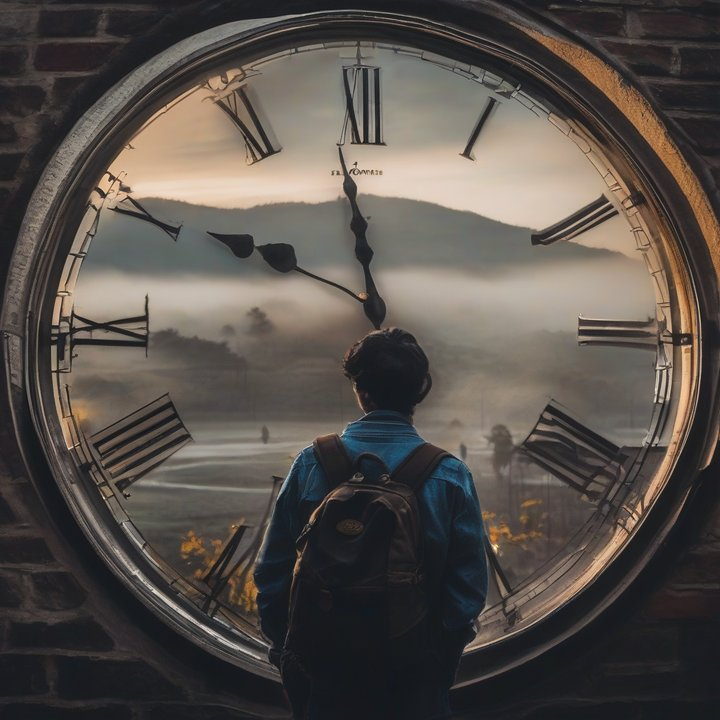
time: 11:49
